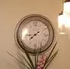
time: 8:38
